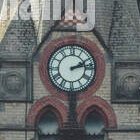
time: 2:13
